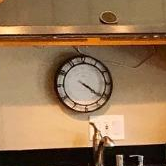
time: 4:21
